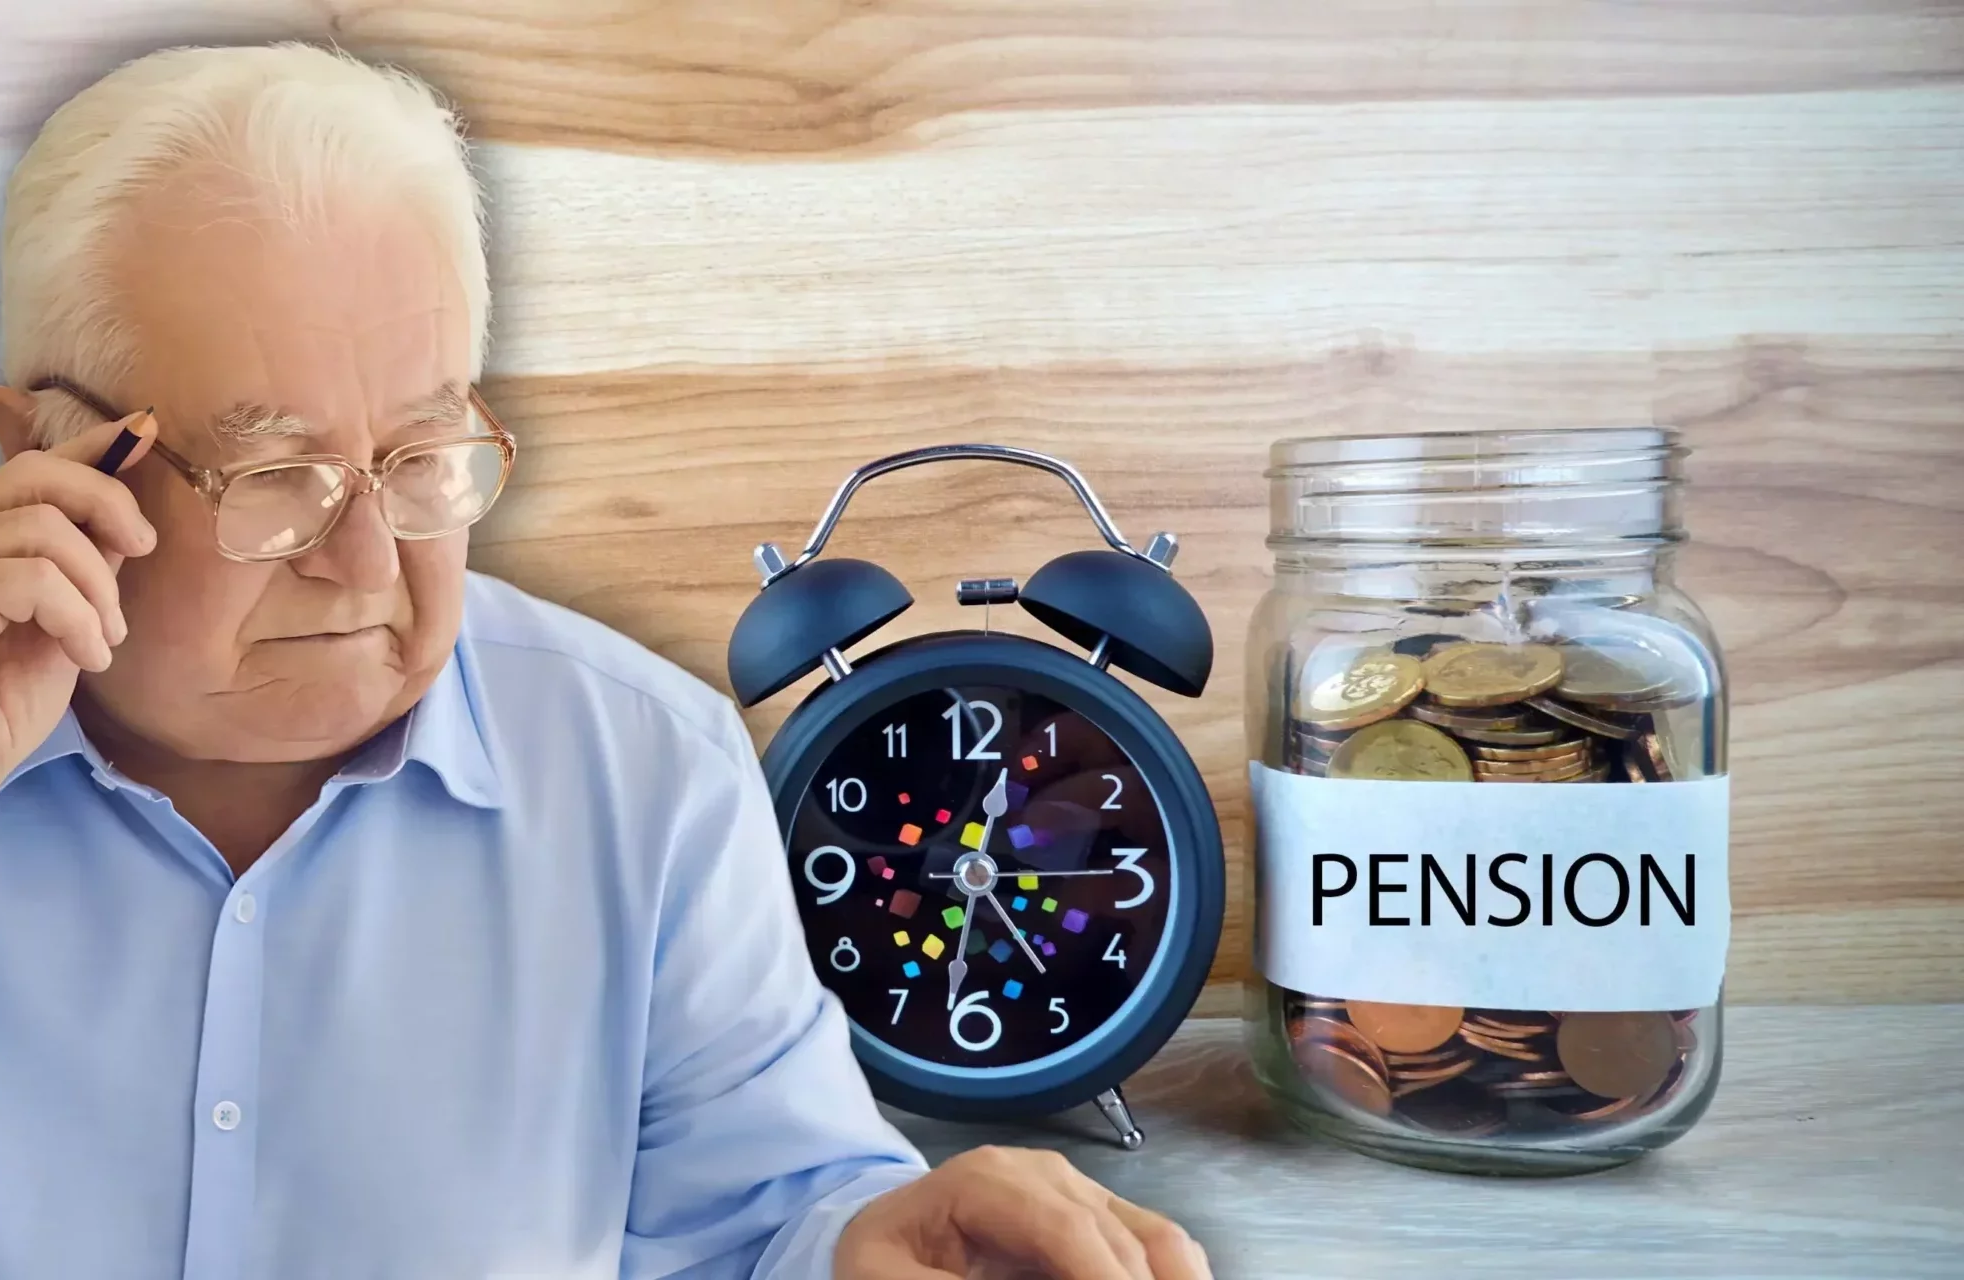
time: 12:32
